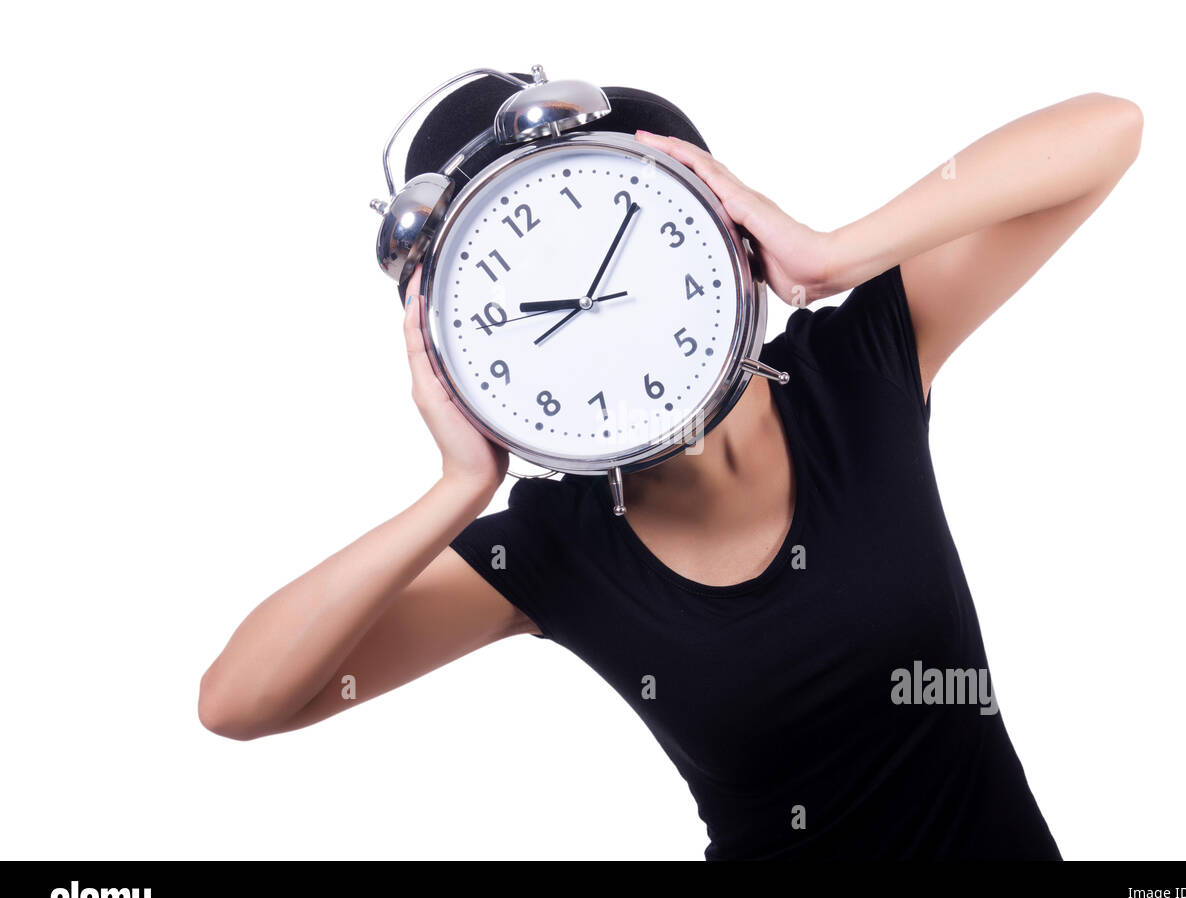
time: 9:06
